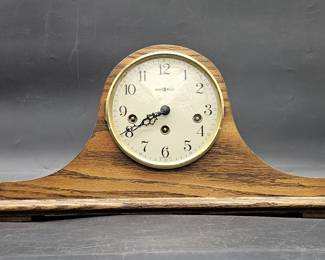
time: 7:40
